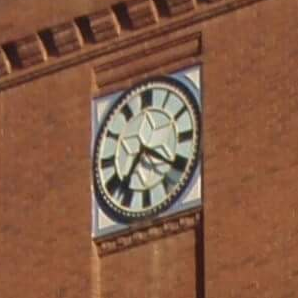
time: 7:20
